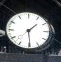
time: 1:29
